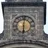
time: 6:01
